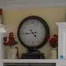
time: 4:44
